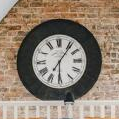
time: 6:06
